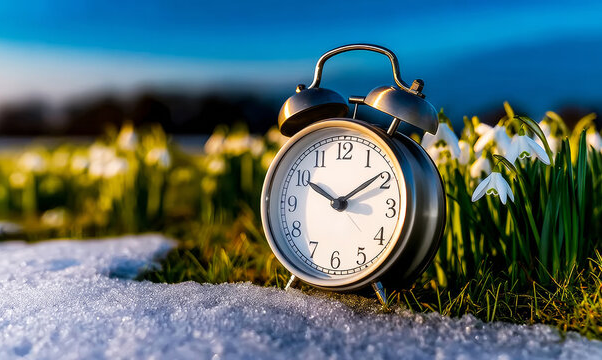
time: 1:50
